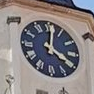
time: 4:01
